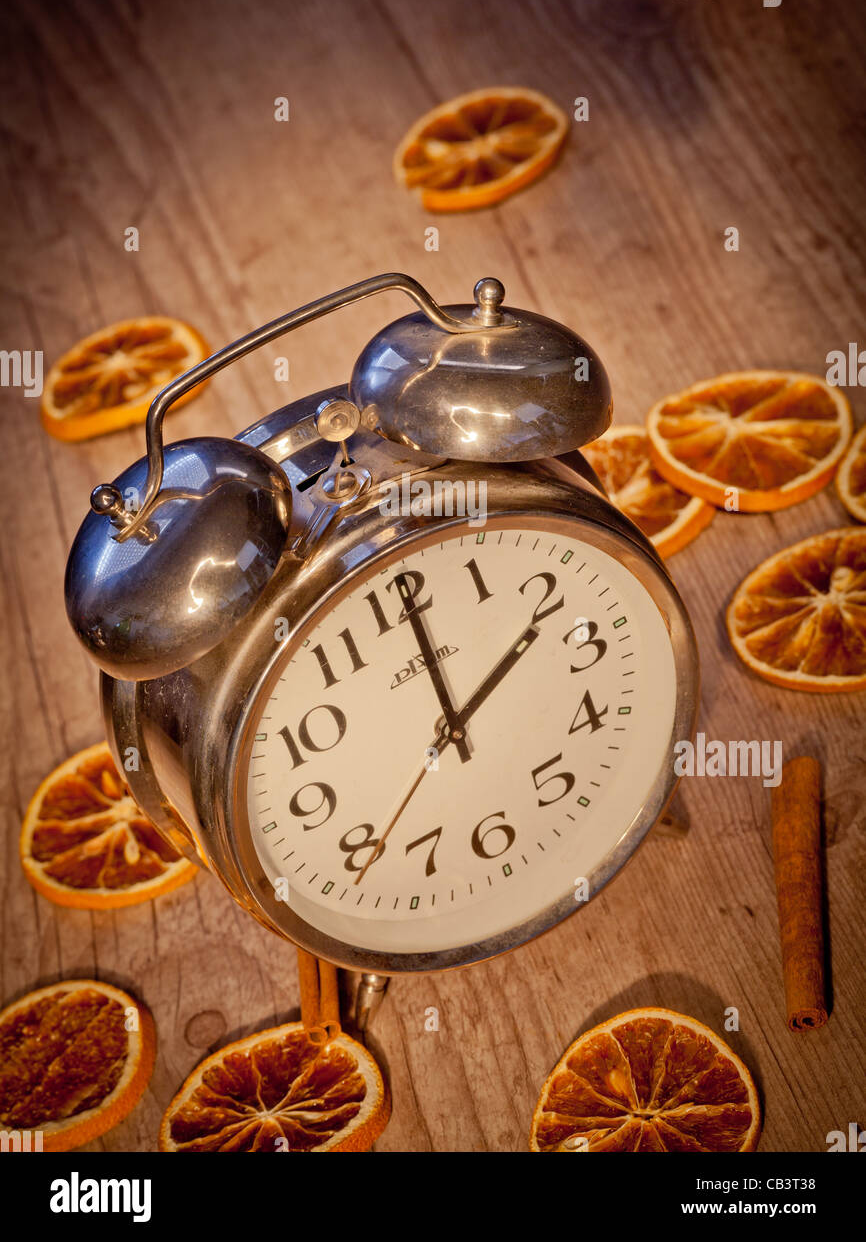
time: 2:00
